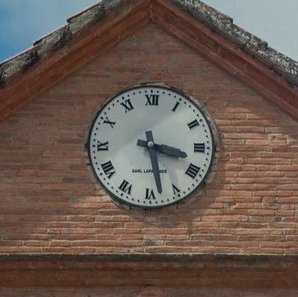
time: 3:28
